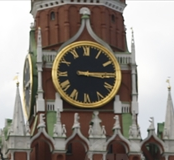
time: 3:14
